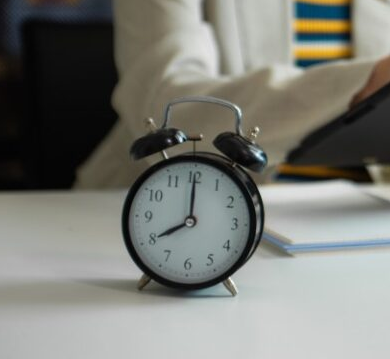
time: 8:00
